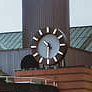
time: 10:30
